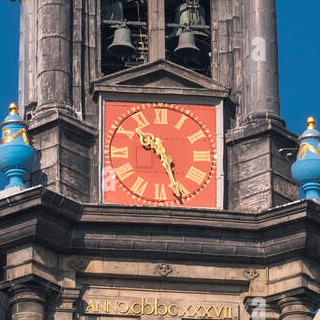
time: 10:26
